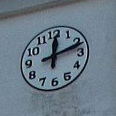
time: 12:11
